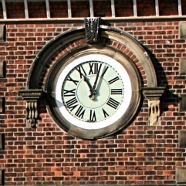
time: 11:02
